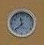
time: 11:37
